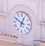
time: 12:49
